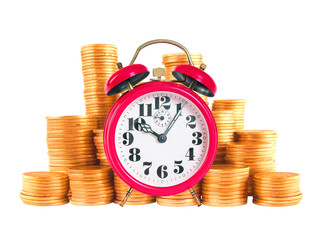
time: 10:05
